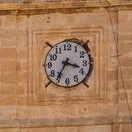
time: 3:35
